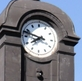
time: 7:47
